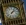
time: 2:06
